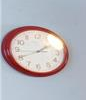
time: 1:41
